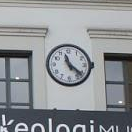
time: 11:22
